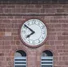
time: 7:51
